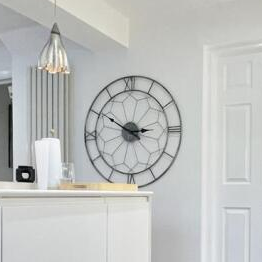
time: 2:50
